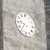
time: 9:36
